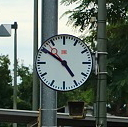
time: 4:50
